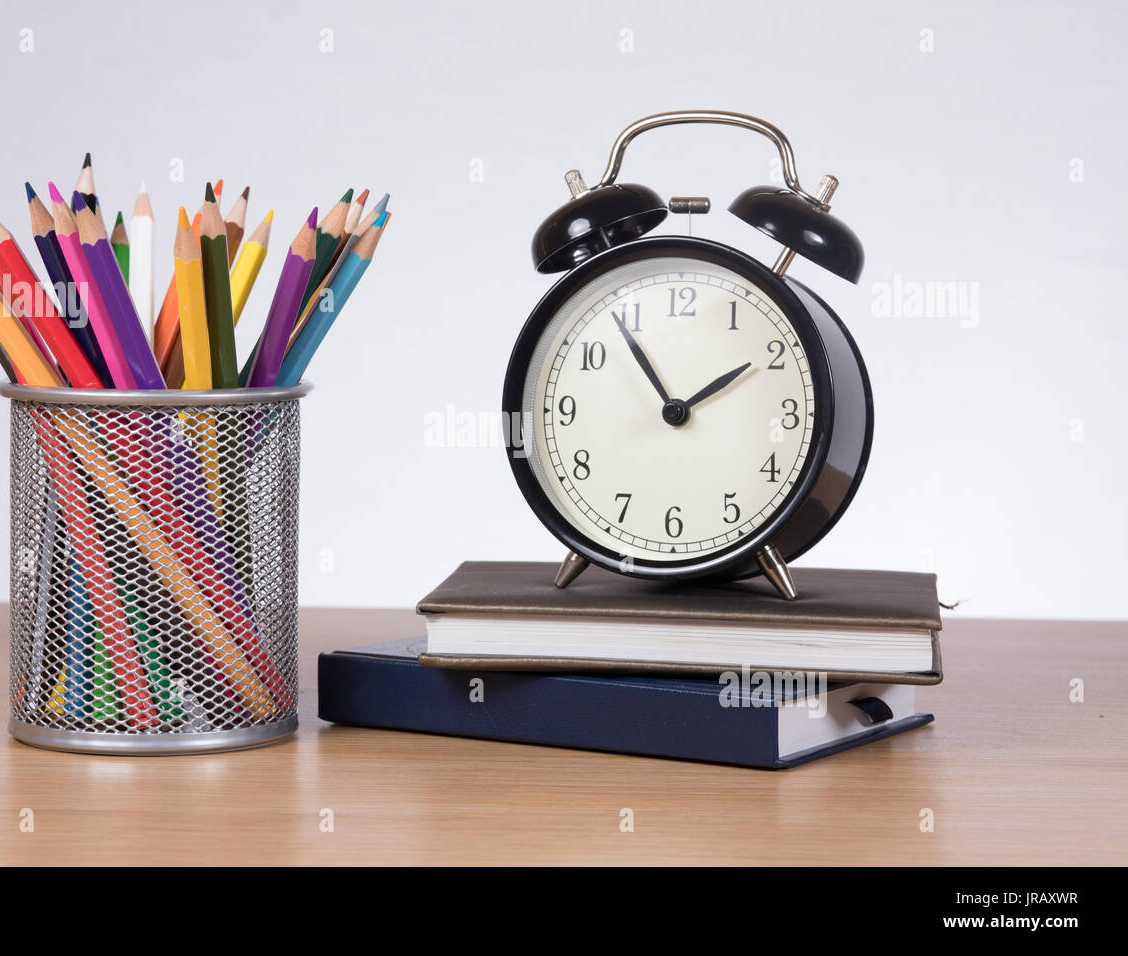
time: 1:54
